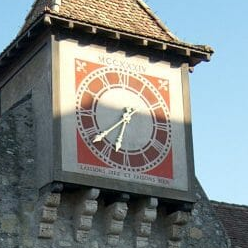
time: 6:38
